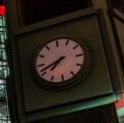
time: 7:41
